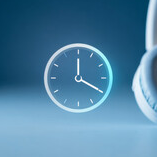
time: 3:59
